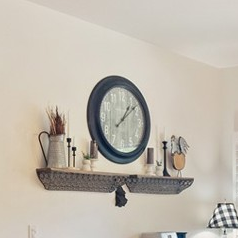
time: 1:08
